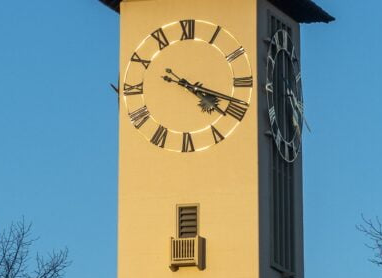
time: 4:18
